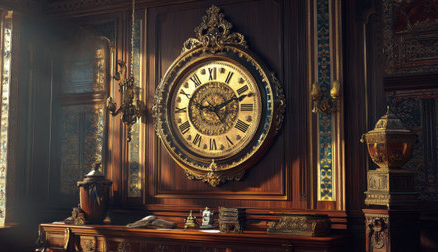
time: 9:11
